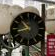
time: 10:42
